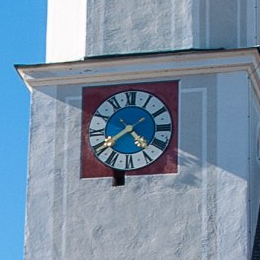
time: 4:39
